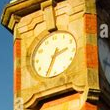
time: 2:34
